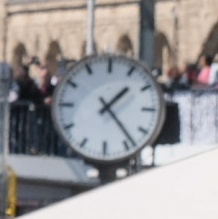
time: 1:23
